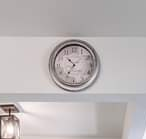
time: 10:35
